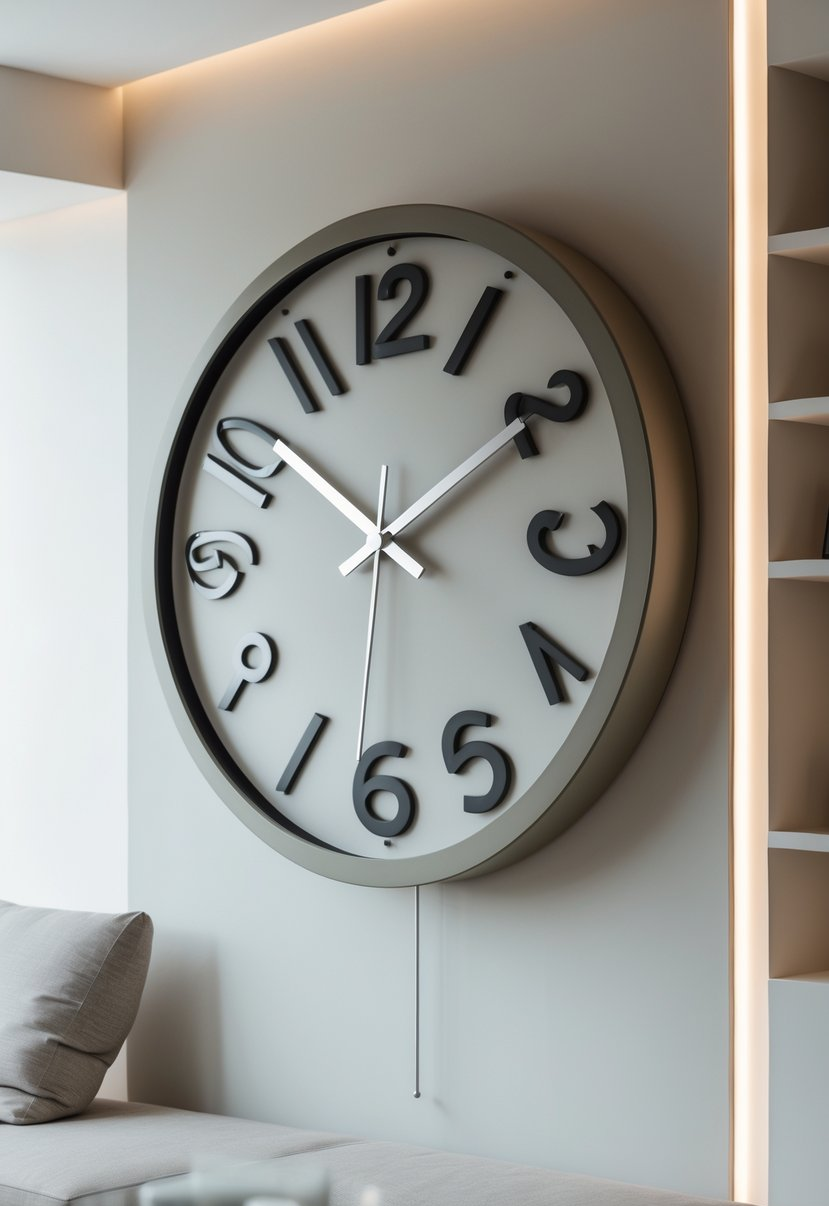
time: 1:51
